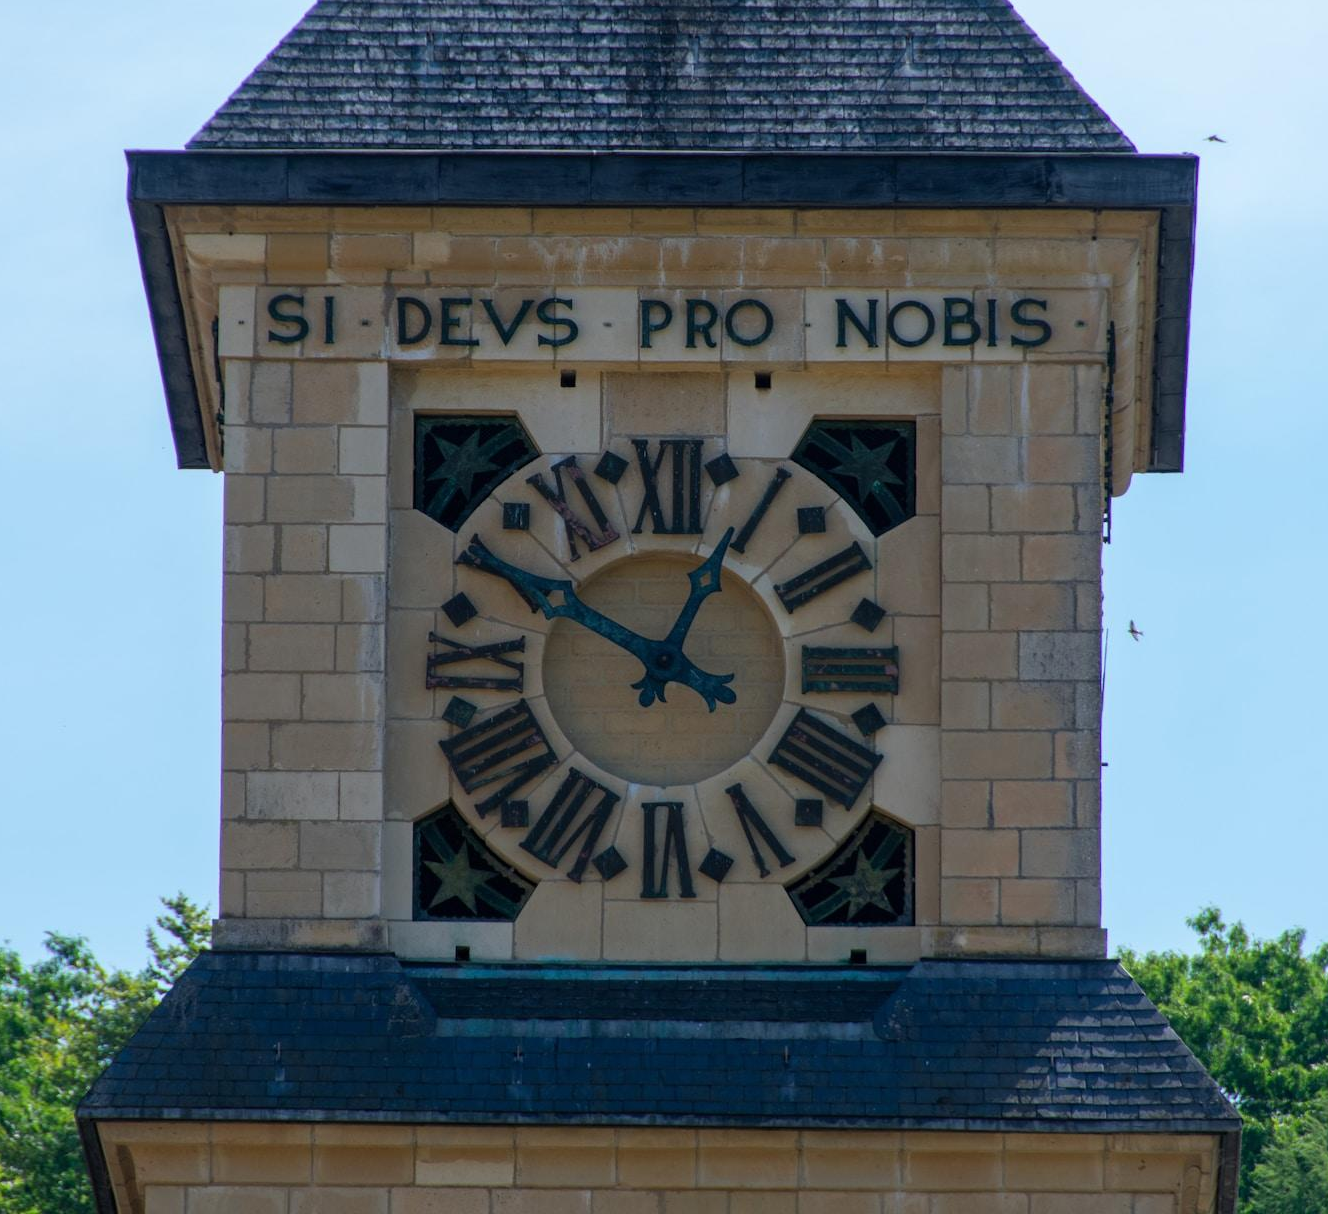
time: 12:49
